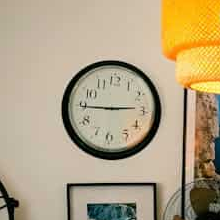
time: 2:45
